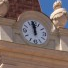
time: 11:58
